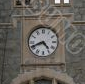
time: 4:41
